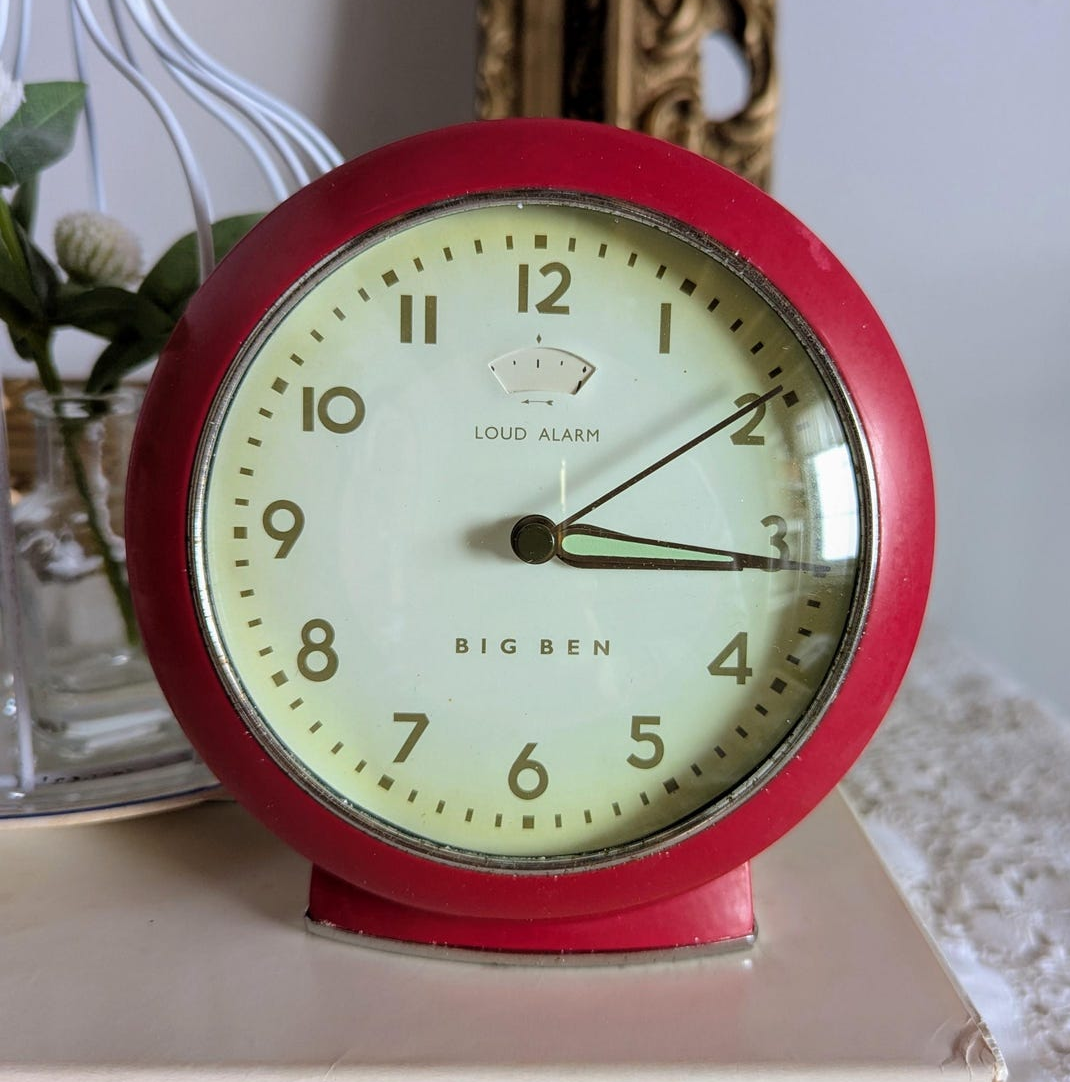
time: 3:09
